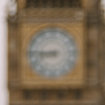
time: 8:45
